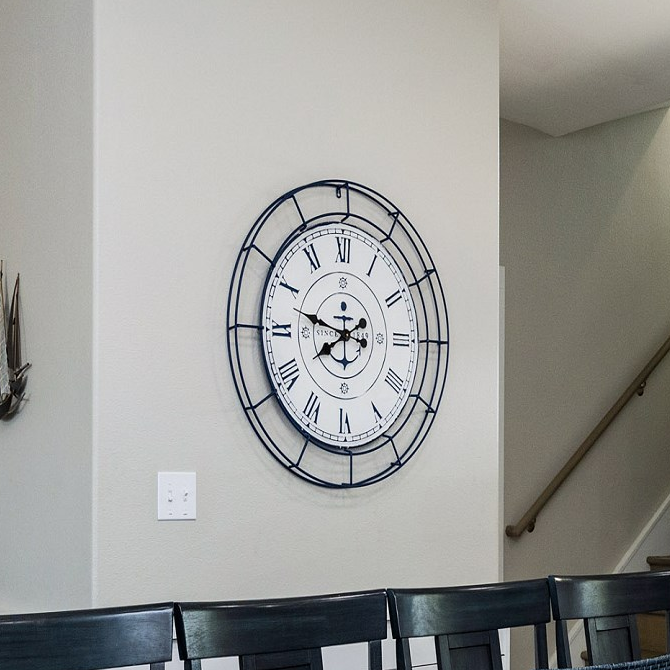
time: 7:47
